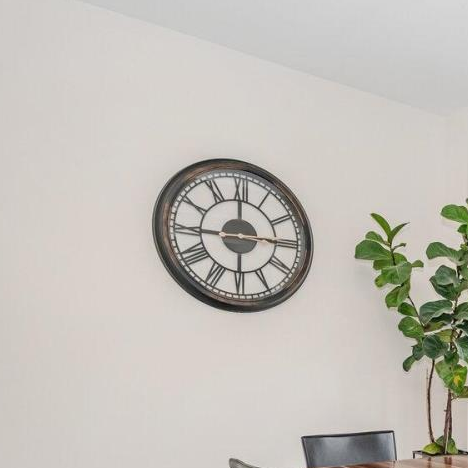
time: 11:44
